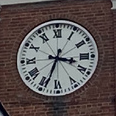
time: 3:33
